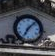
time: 7:07
